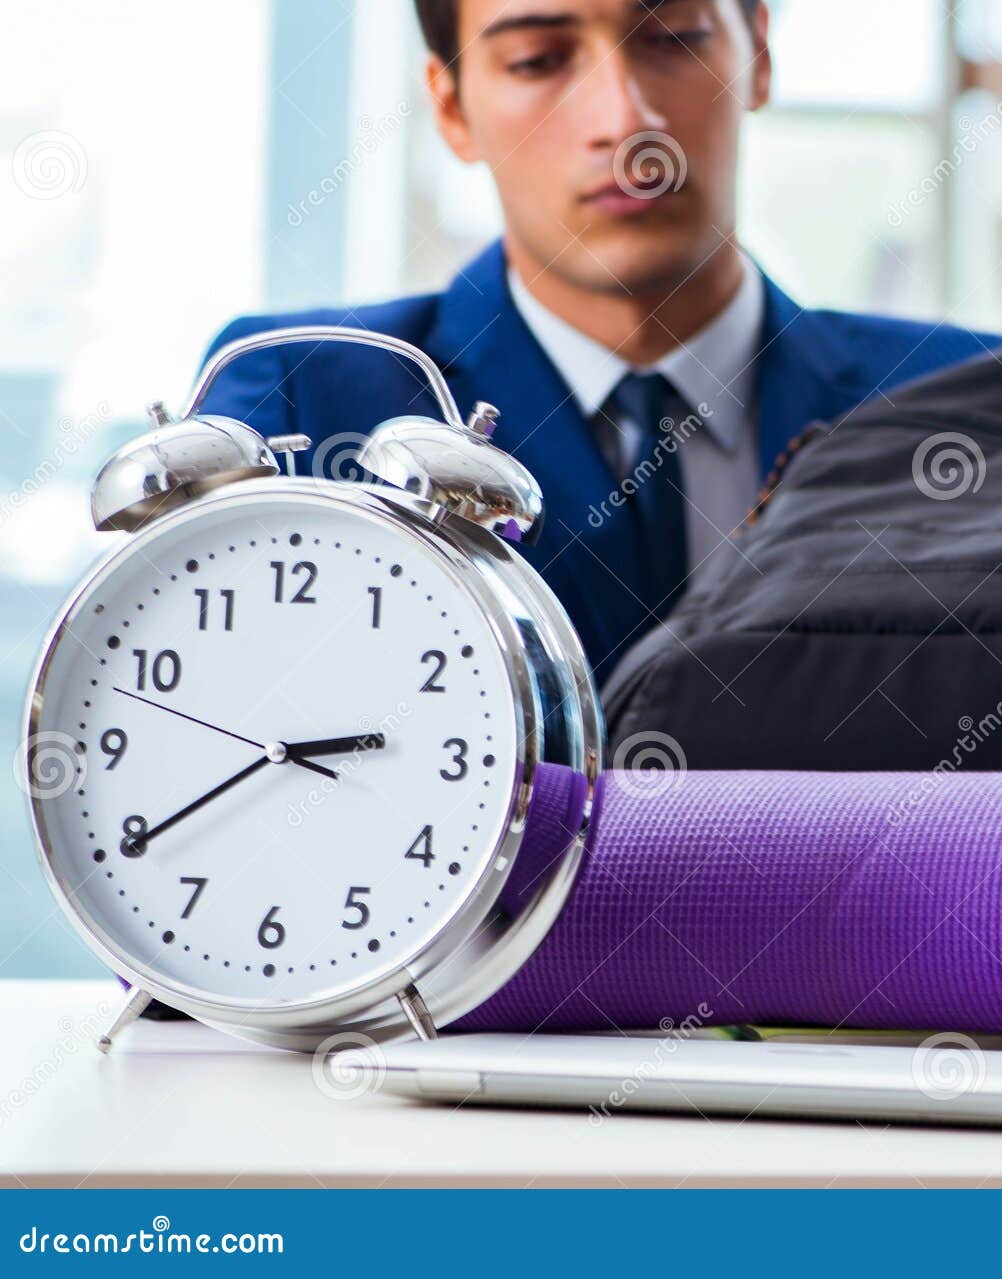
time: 2:39
